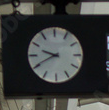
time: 9:40
